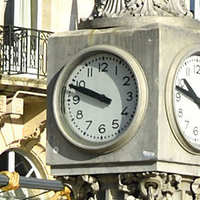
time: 9:48
